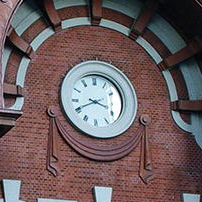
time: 3:40
